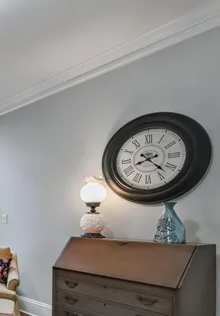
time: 8:22
